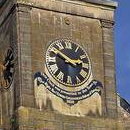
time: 2:48
